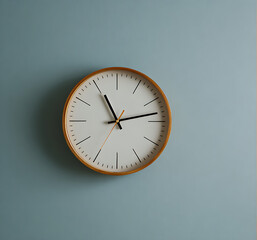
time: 11:12
